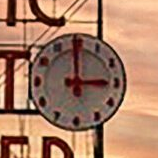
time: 3:00
